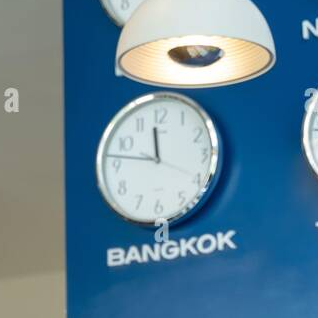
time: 11:46
